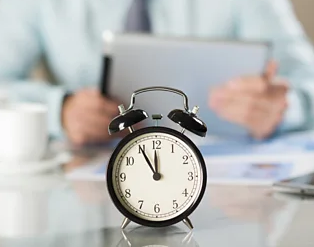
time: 11:55
